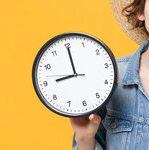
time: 8:59
